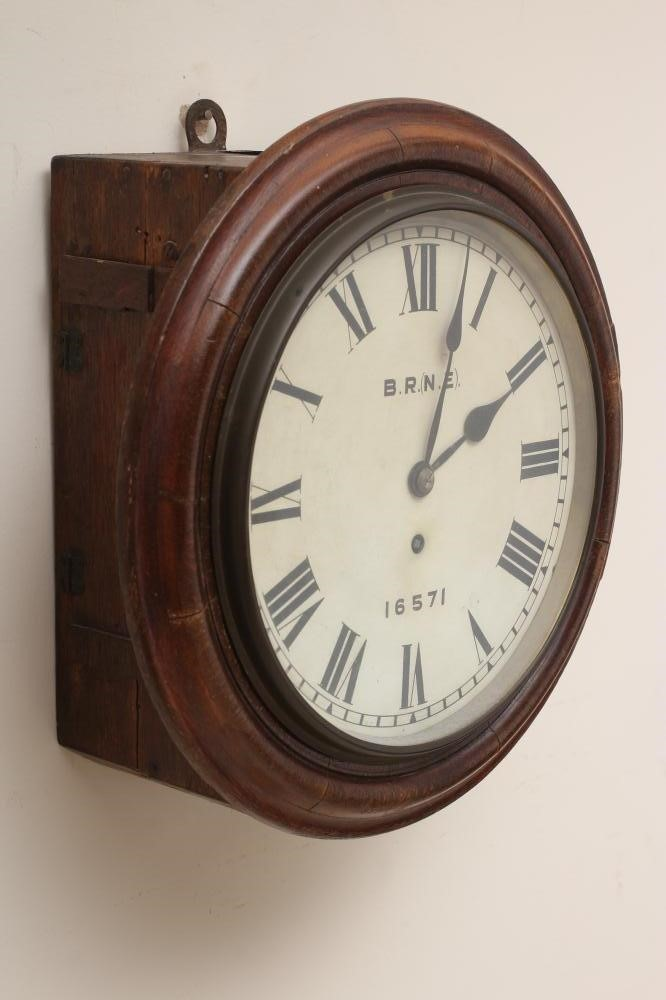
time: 2:03
